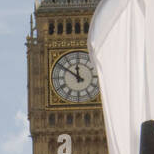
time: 11:50
